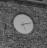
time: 5:12
